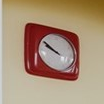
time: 9:50
